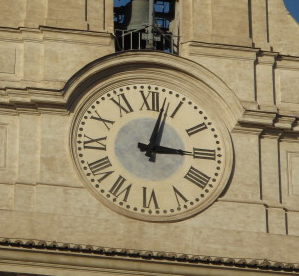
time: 3:02
